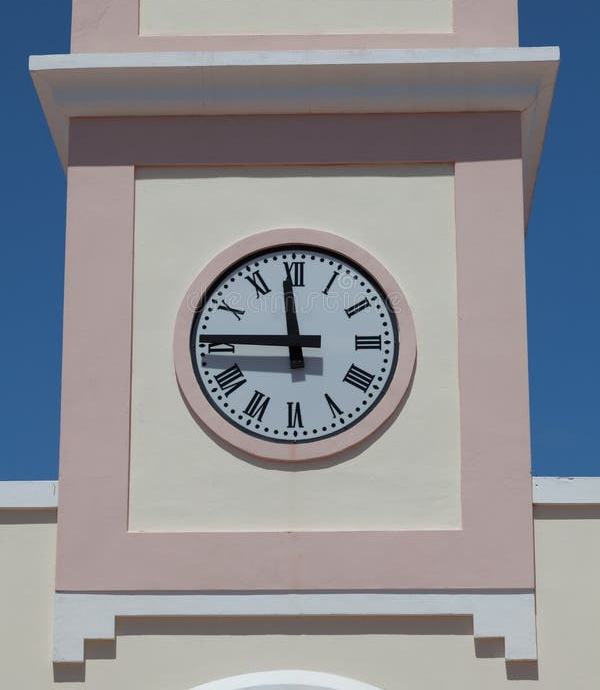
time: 11:45
